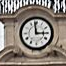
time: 2:58
